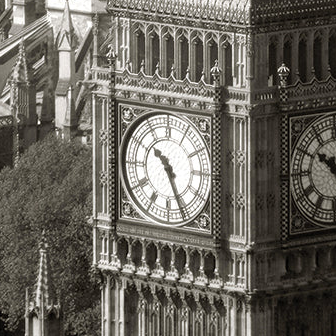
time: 10:26
